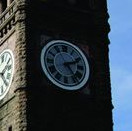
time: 2:23
